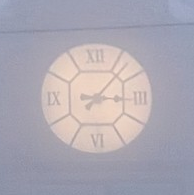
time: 3:07
